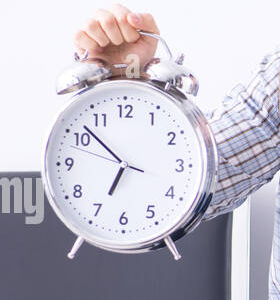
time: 6:52
